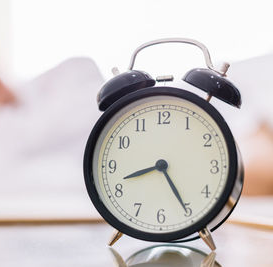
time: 8:25
